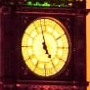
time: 4:57
